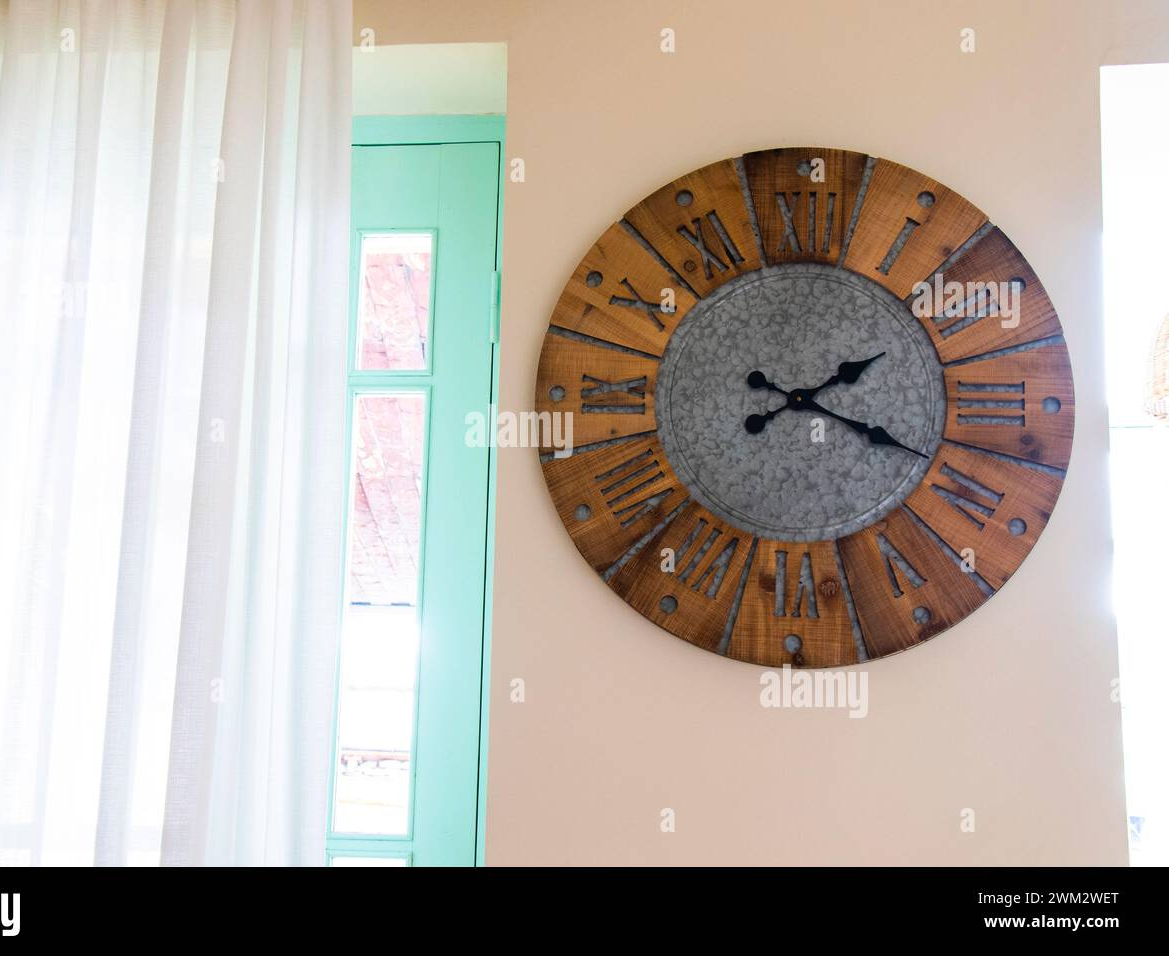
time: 2:18
